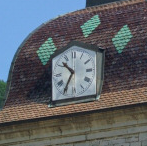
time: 10:35
